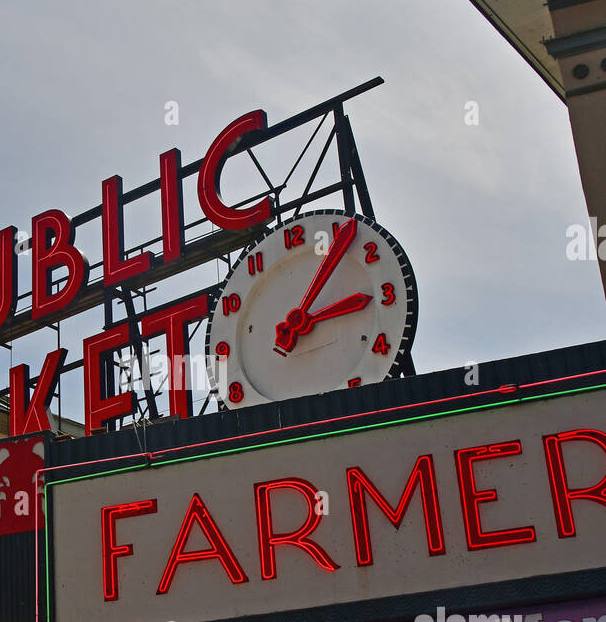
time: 3:06
